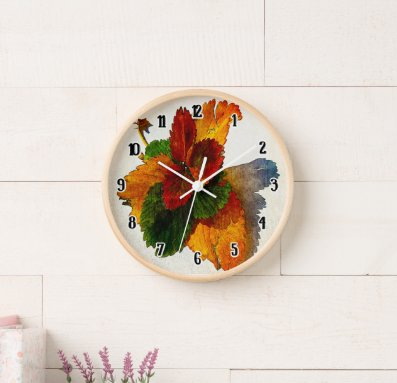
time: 1:50
